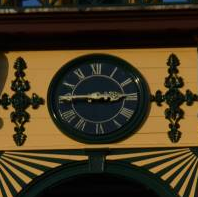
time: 2:45
